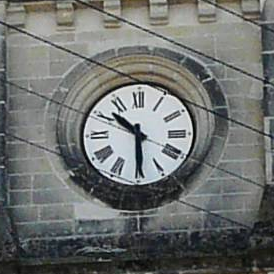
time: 10:29
